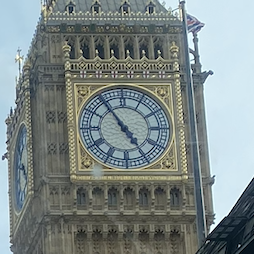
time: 4:54
